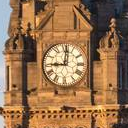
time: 9:01
